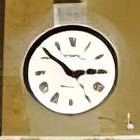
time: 2:51
